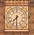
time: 7:30
